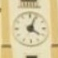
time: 4:03
